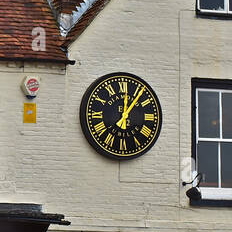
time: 12:06
